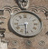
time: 8:31
